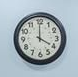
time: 4:00
